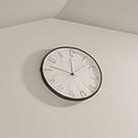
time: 11:47
